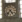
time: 7:24
